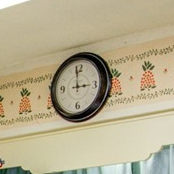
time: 2:58
